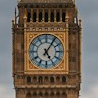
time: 5:05
